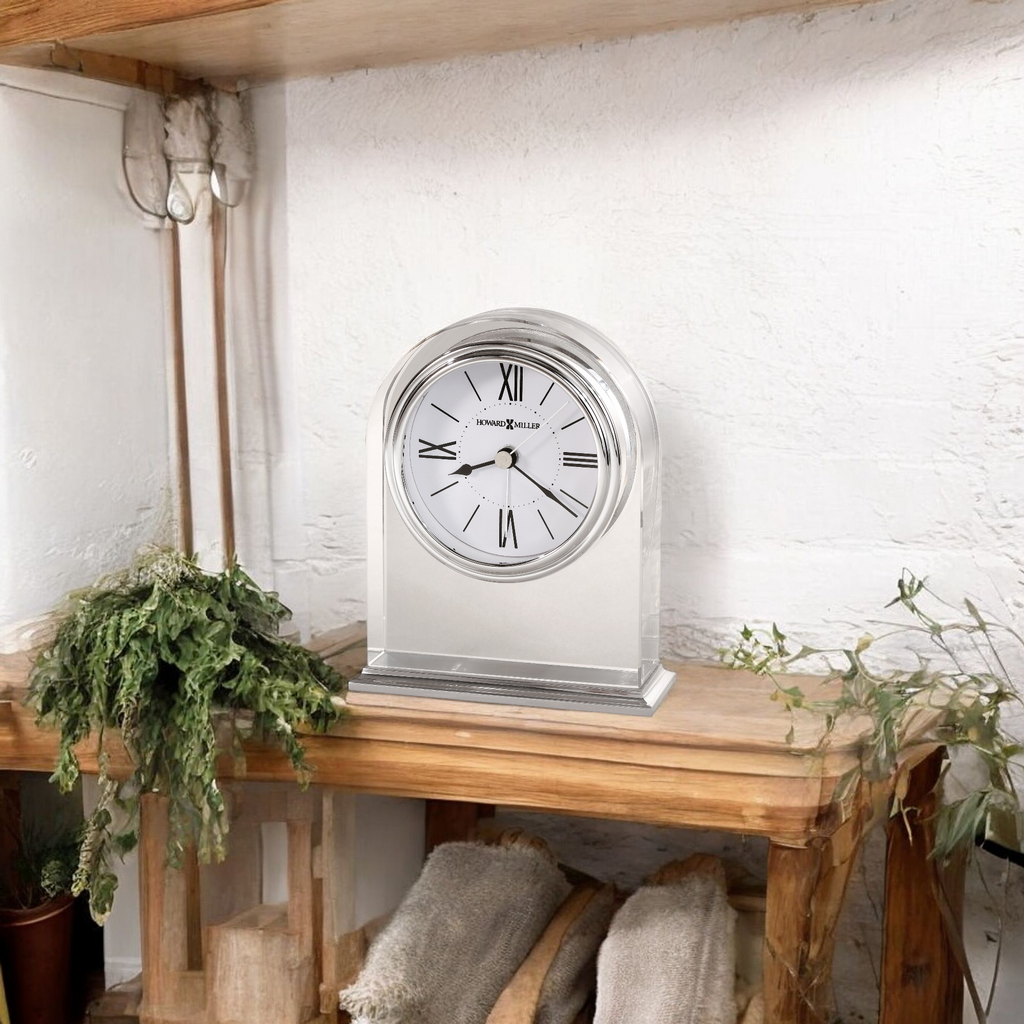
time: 8:21
